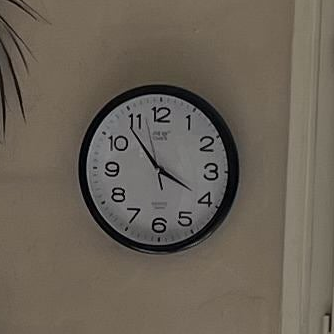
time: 3:53
